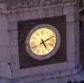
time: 5:11
